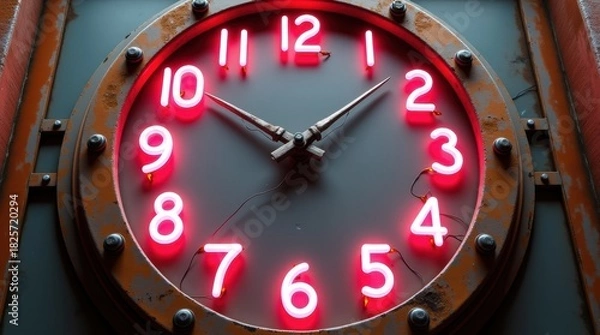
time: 10:08
